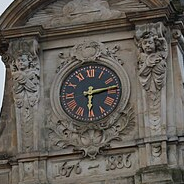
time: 6:13
